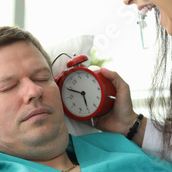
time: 5:49
